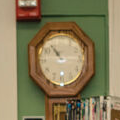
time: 10:47
